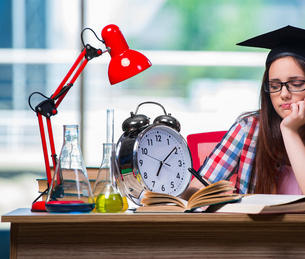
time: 7:08
